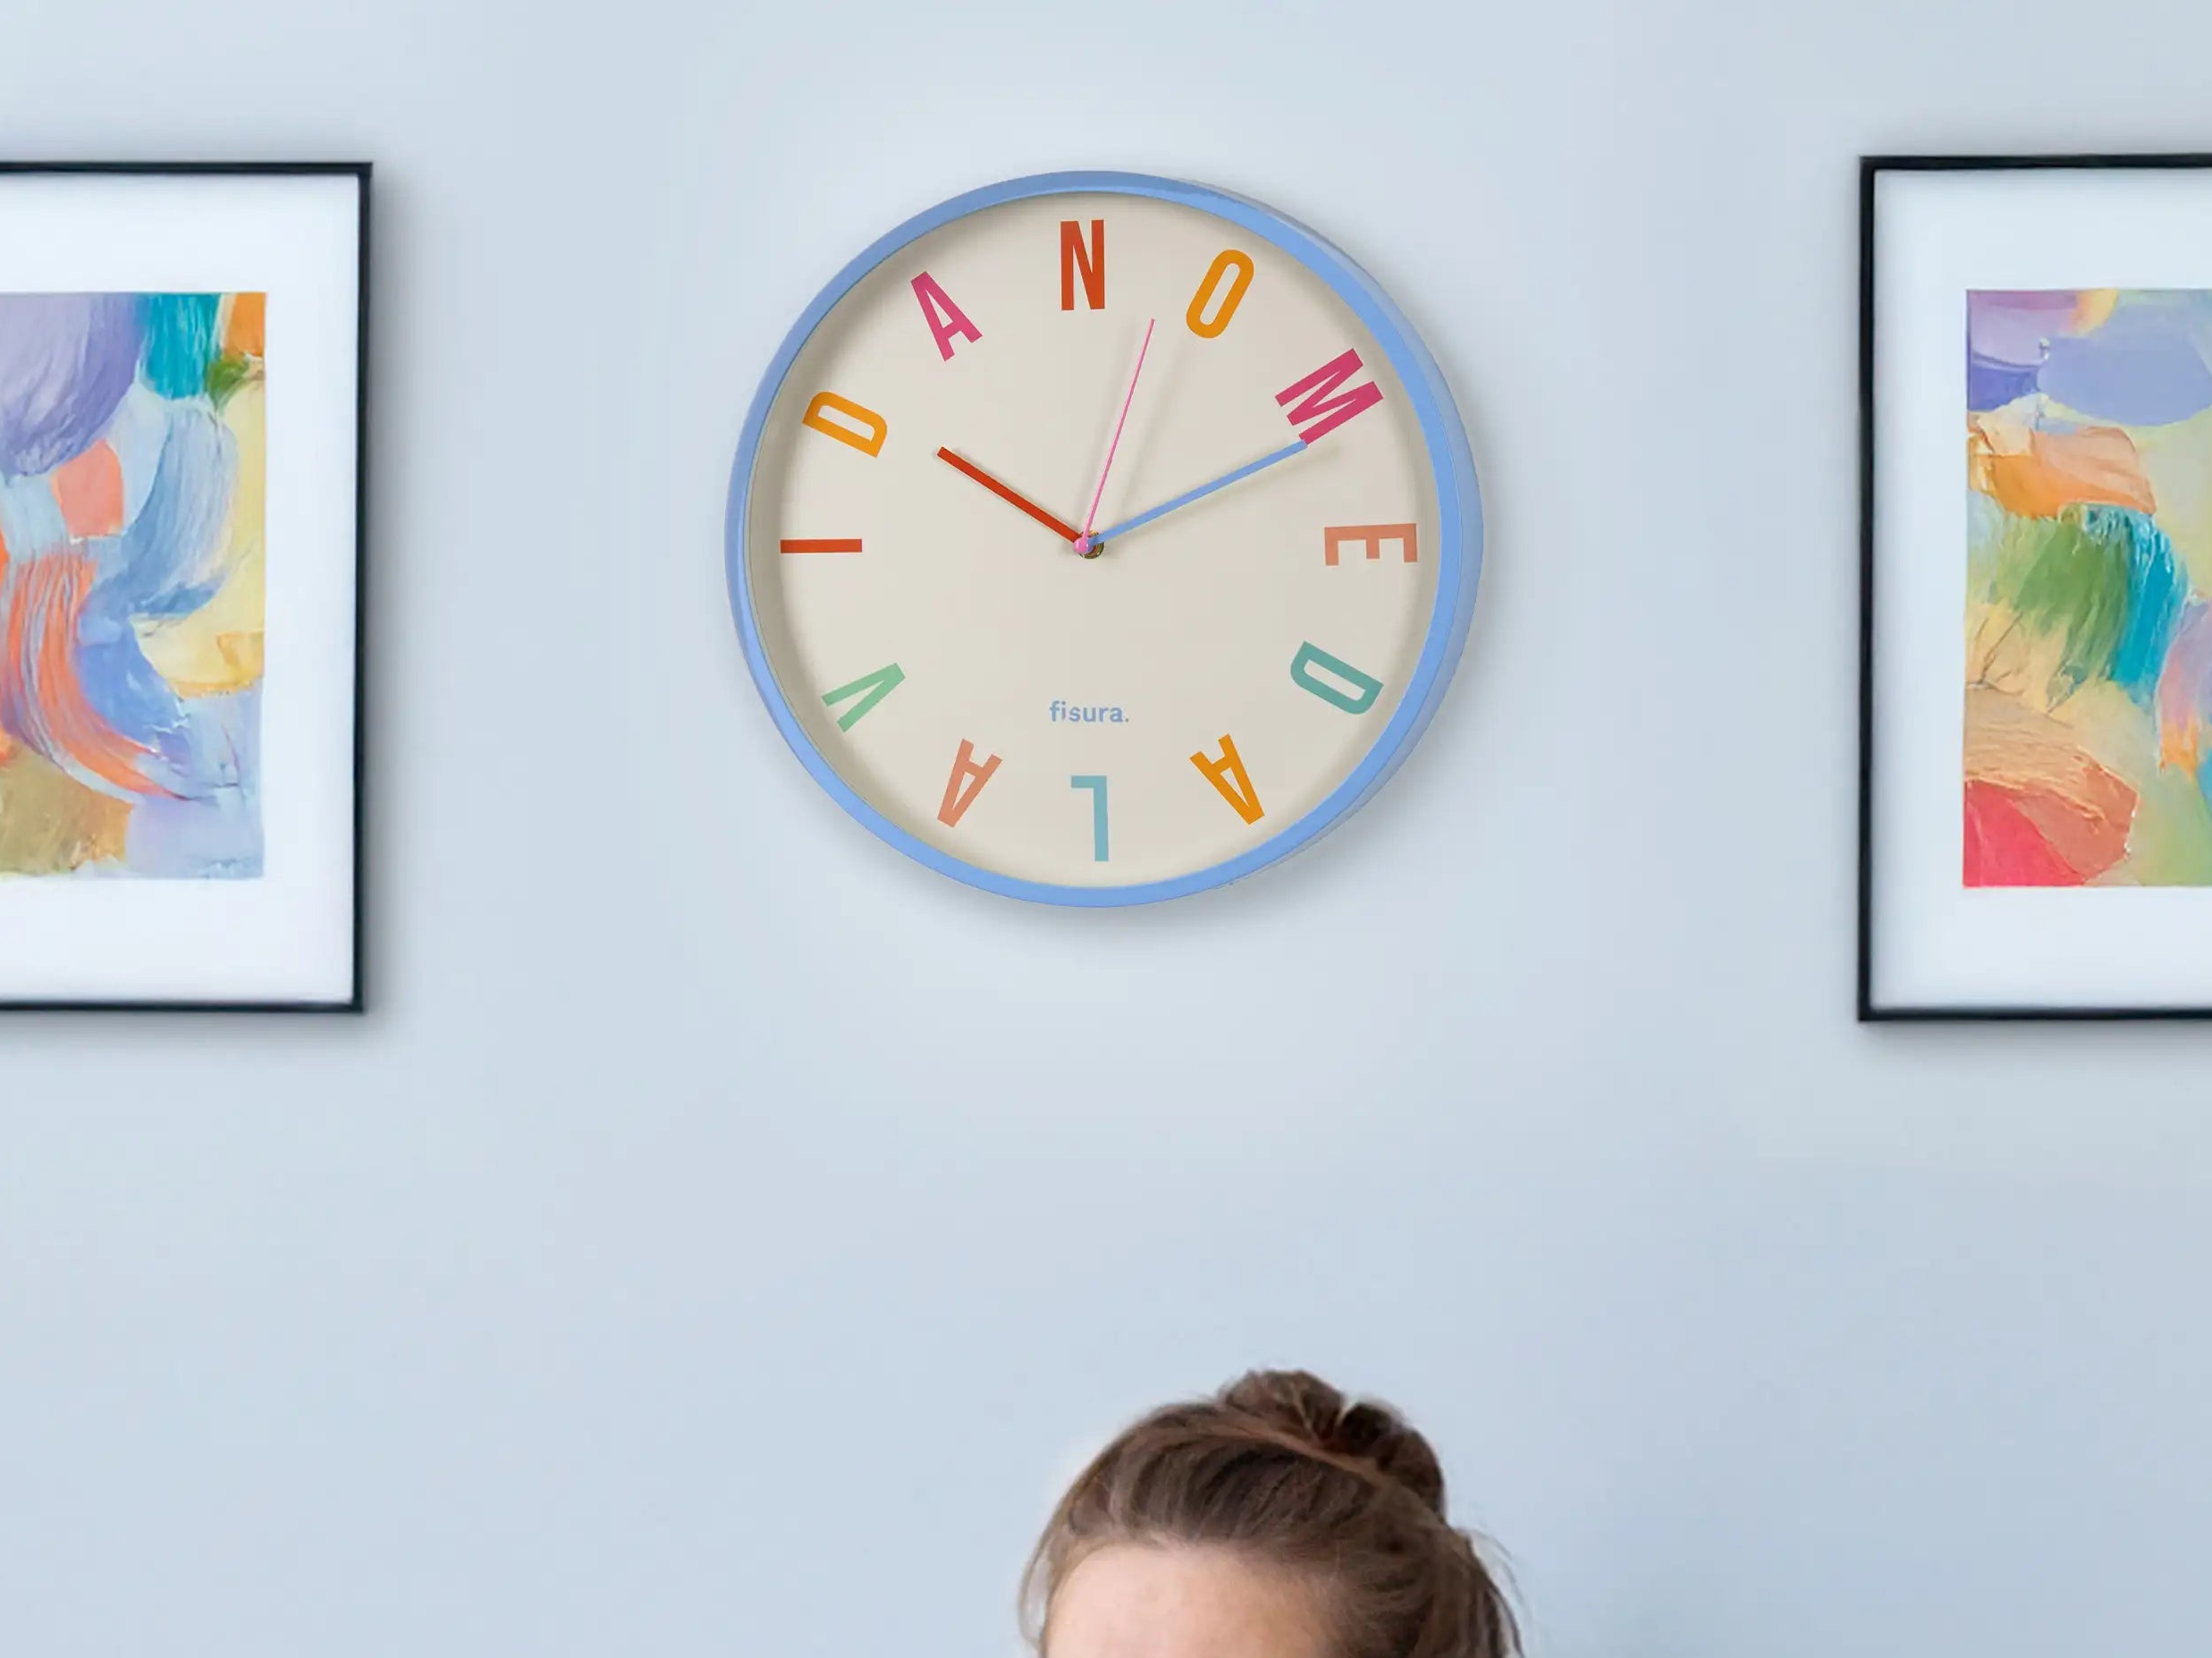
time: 10:03
